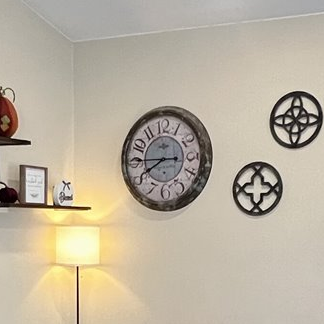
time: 2:40
